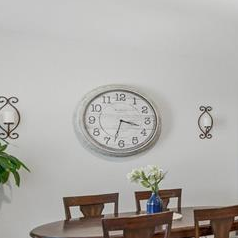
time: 3:32
